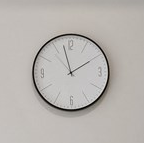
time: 1:57
